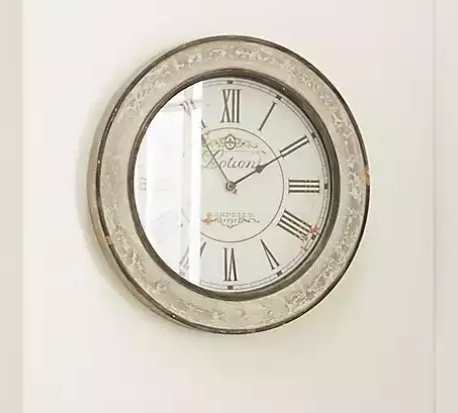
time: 1:56
